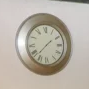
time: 1:37
